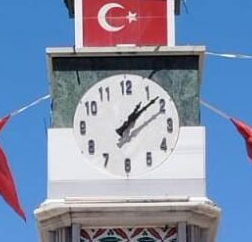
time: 1:08
